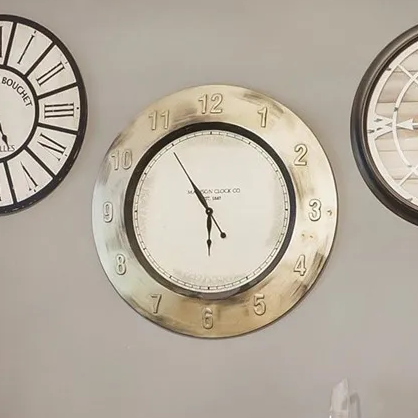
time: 5:54
